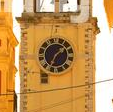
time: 1:34
